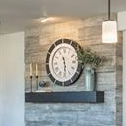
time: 11:29
